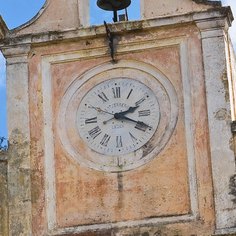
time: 2:19
